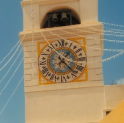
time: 1:22
